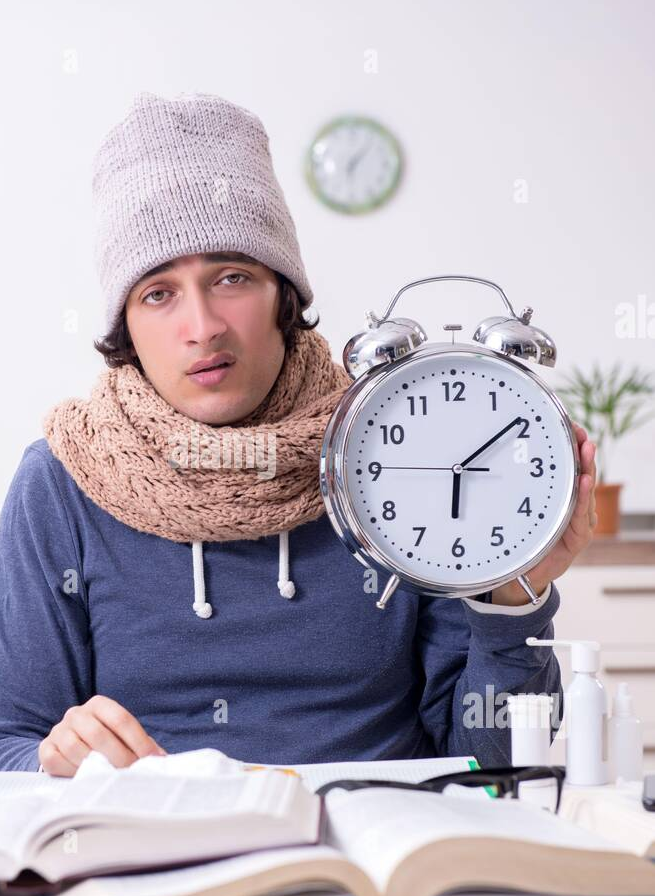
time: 6:08
